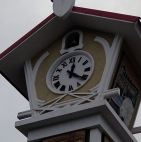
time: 12:20
